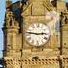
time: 2:46
